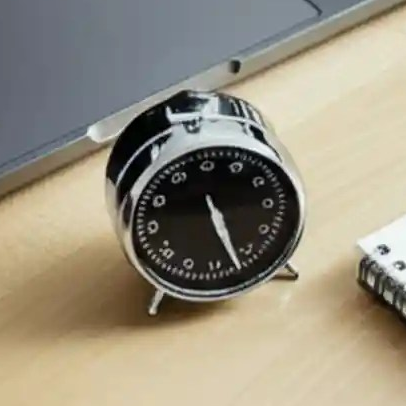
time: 5:27
